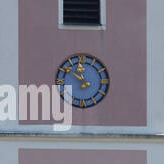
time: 11:51
